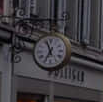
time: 6:56
